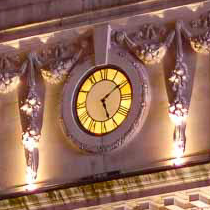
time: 5:09
